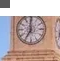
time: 7:00
